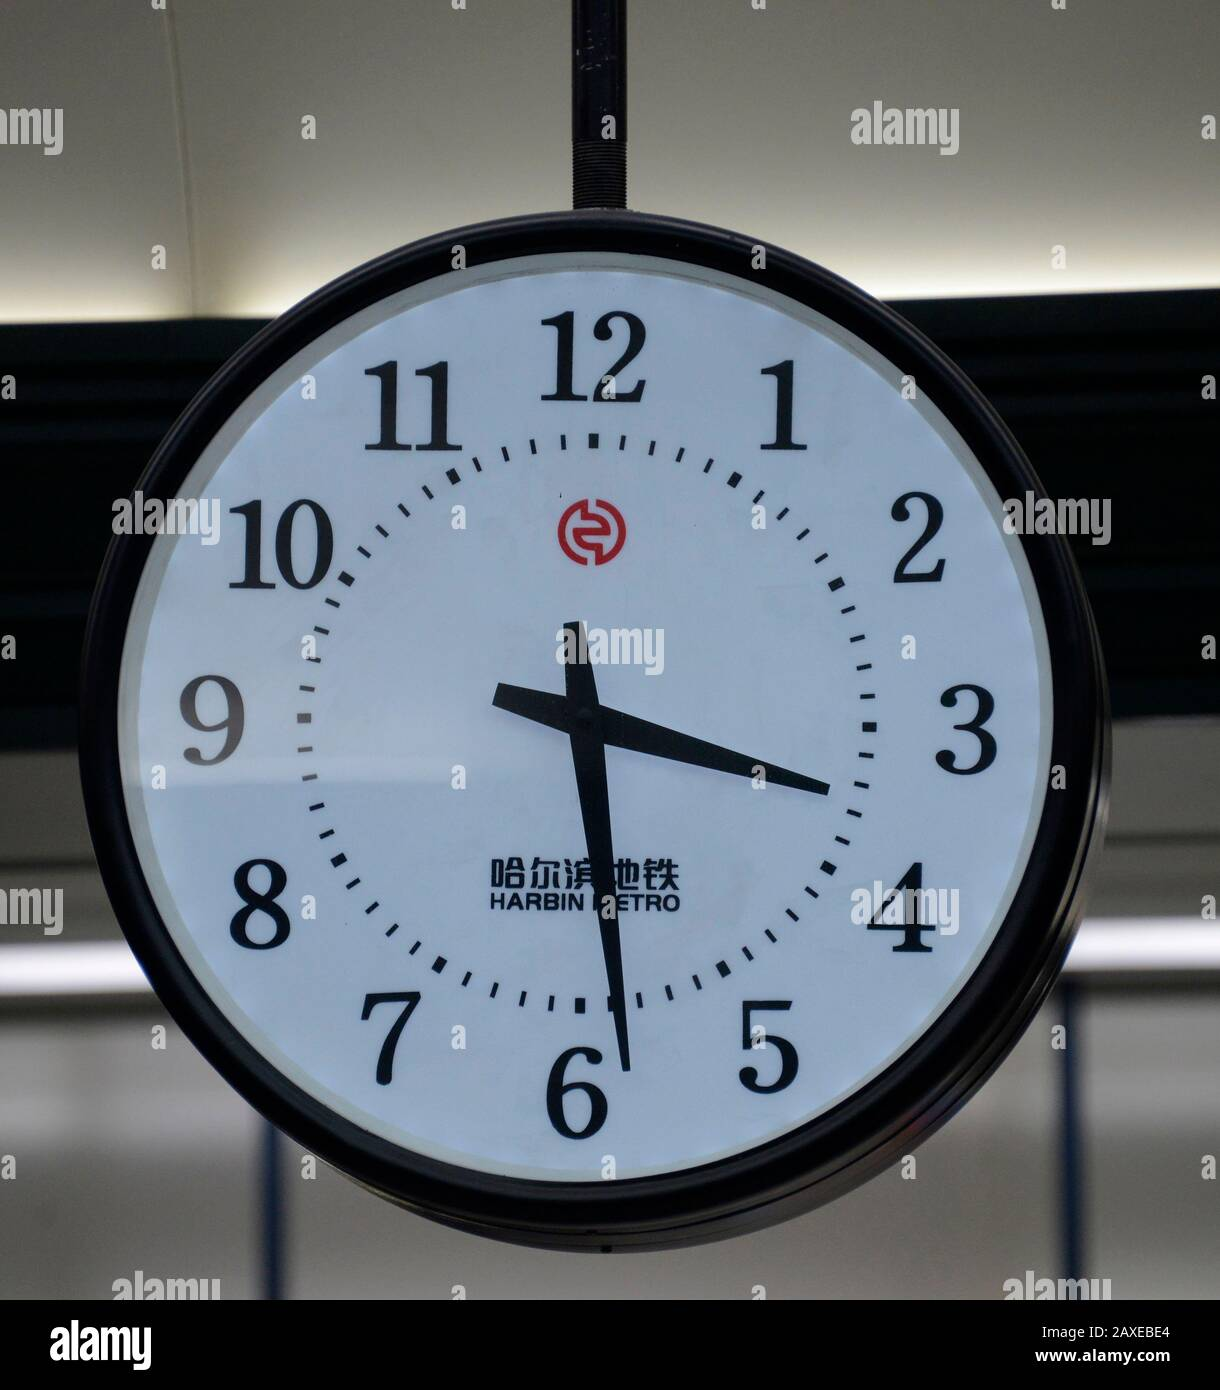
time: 3:28
